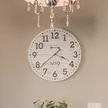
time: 3:38
